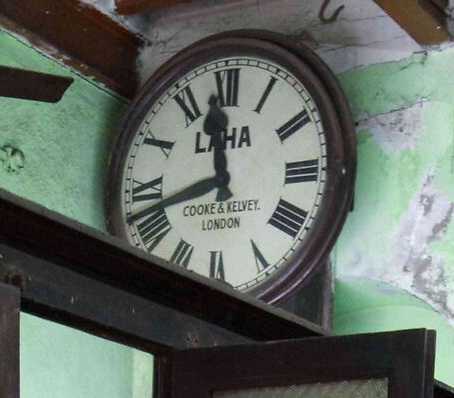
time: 11:41
